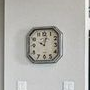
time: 10:02
